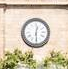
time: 12:29
